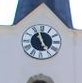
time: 4:57
